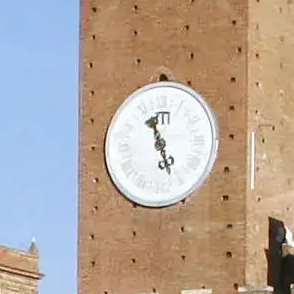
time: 11:26
